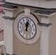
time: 12:02
